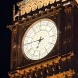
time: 6:45
